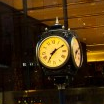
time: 7:09
